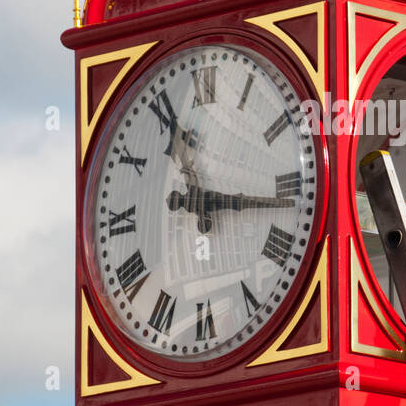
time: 11:16
